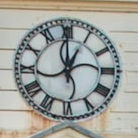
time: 12:59
